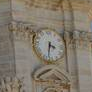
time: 3:32
